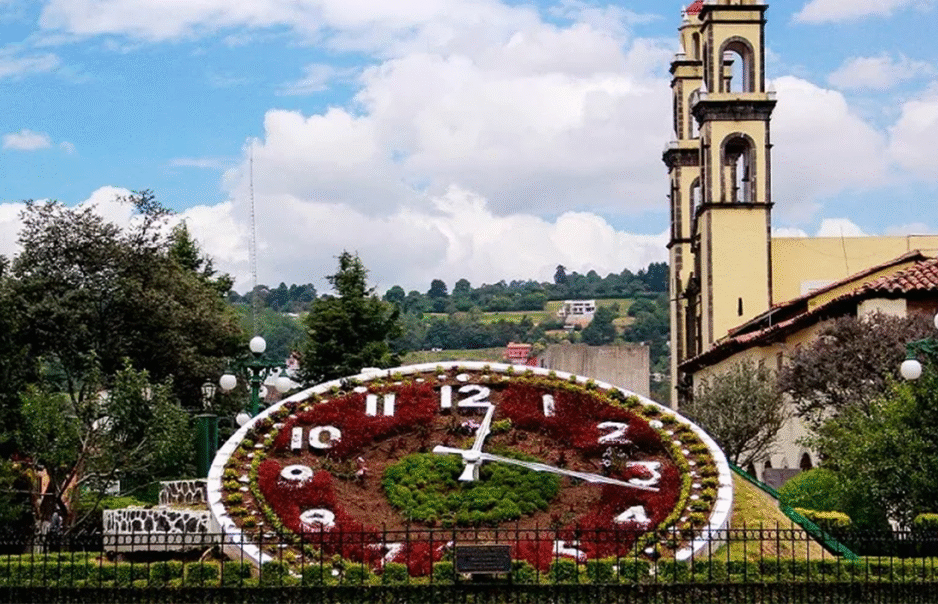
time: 12:17
